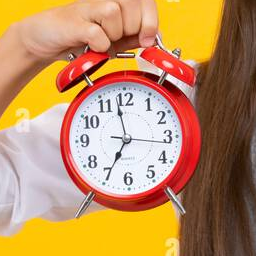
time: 6:58
